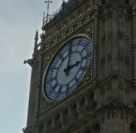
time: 3:01
